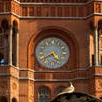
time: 4:40
